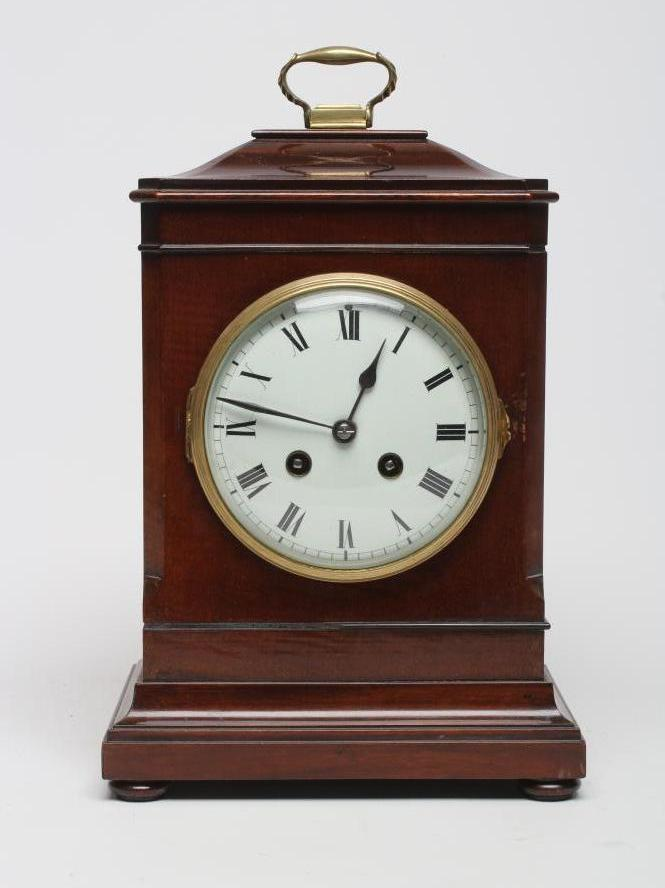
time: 12:47
